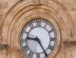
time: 9:24
